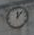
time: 12:07
